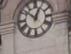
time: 12:51
